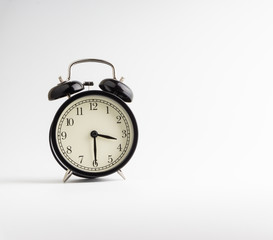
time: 3:29
